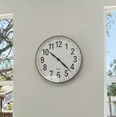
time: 10:22
